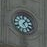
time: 1:24
